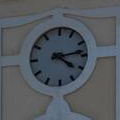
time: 4:13
